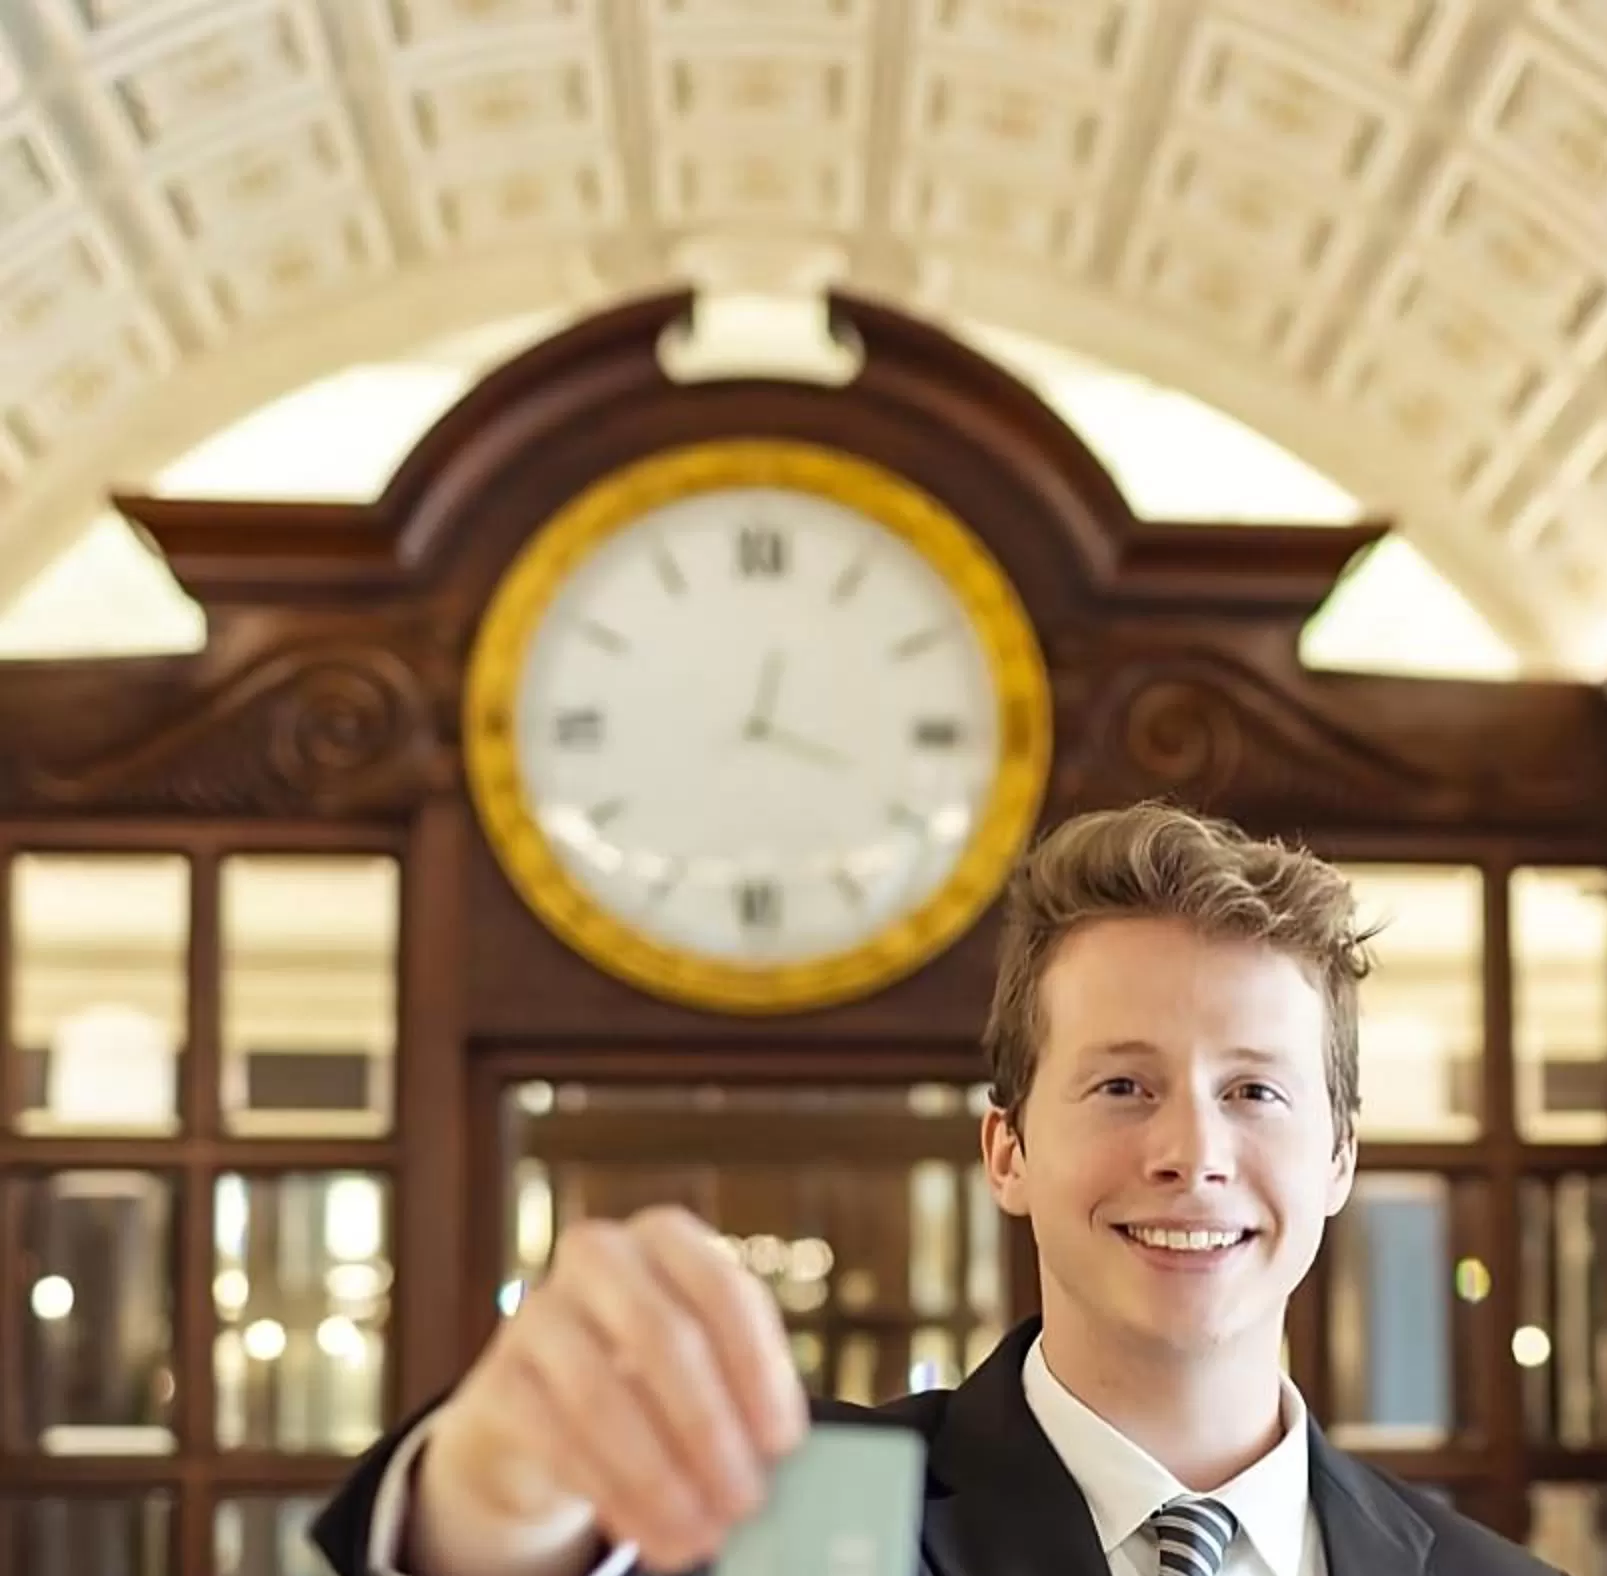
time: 12:18
